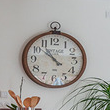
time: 10:51
